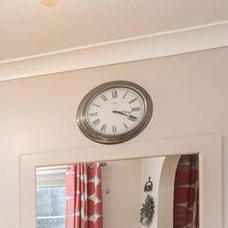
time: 3:19
